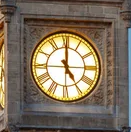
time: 4:59
